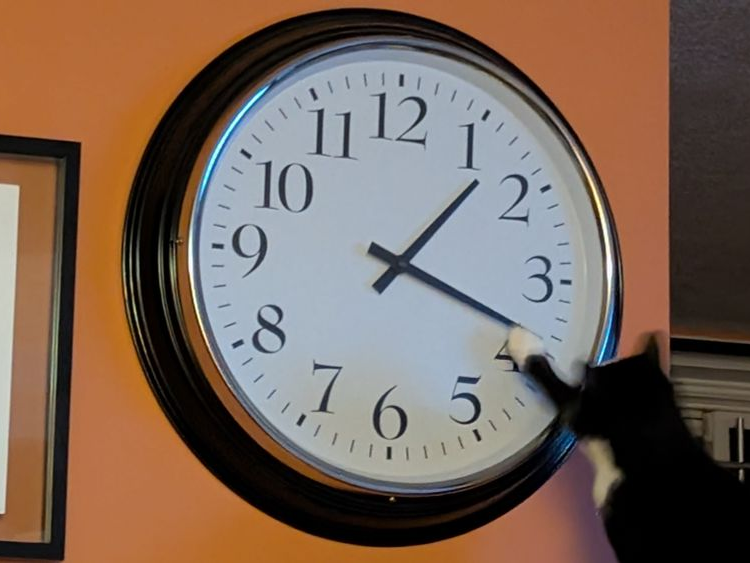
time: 1:18
